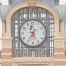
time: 11:35
